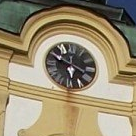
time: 5:49
